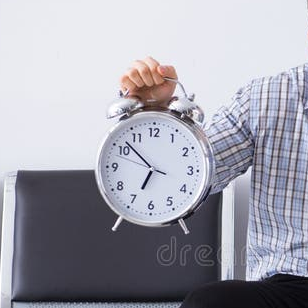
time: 6:52
